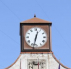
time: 12:32
